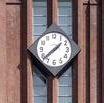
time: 1:38
